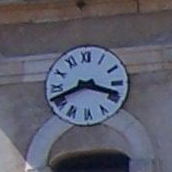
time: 3:41
